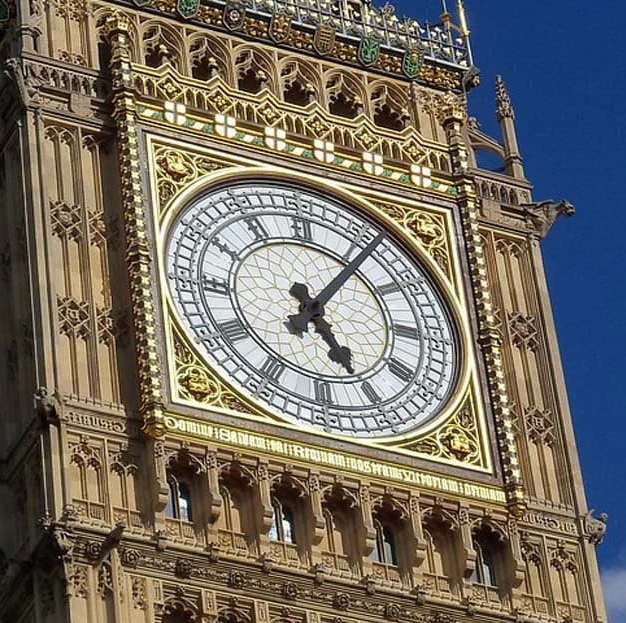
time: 5:06
